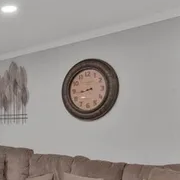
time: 8:43
